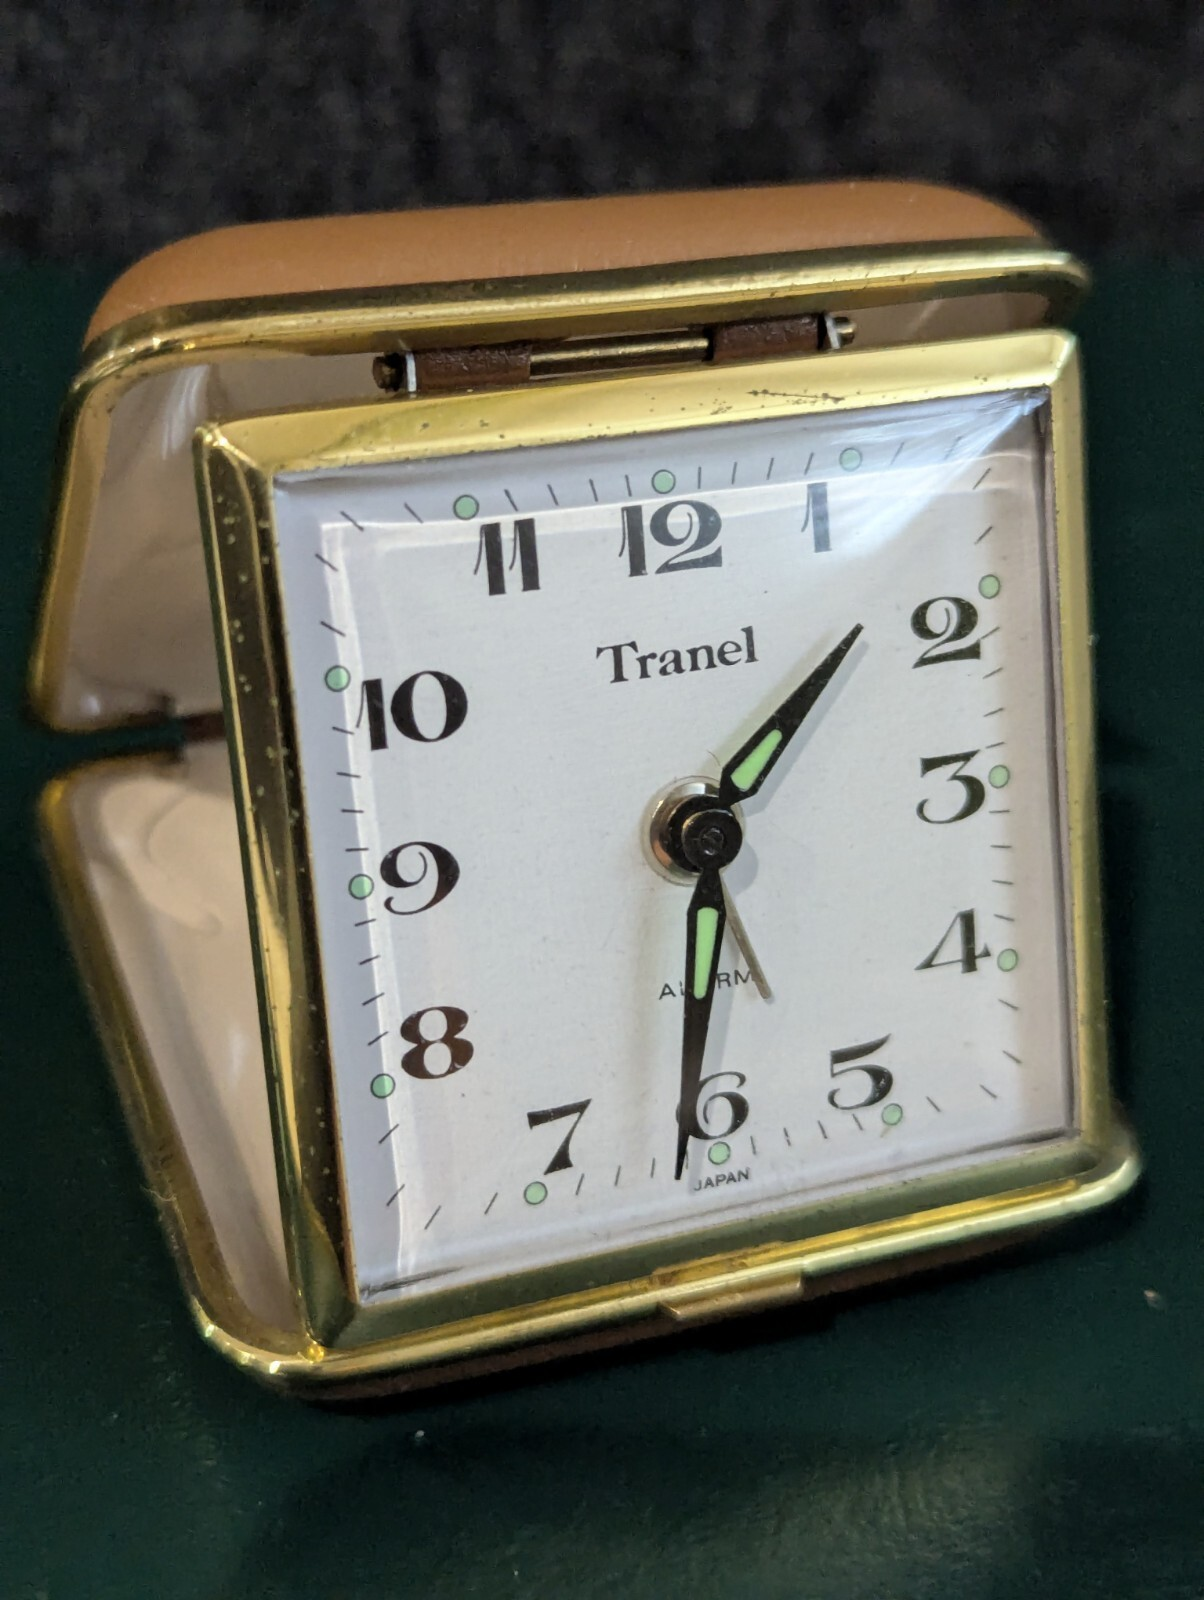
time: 1:31
